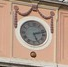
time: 5:12
